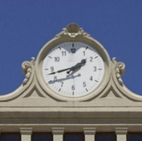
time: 1:42
